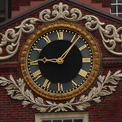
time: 9:06
